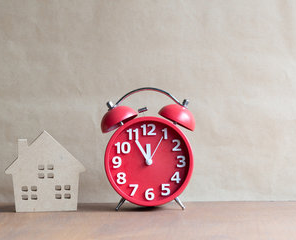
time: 11:54
